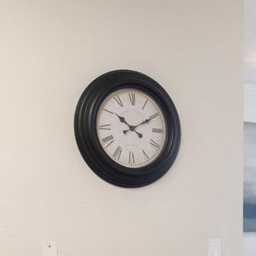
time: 10:10
